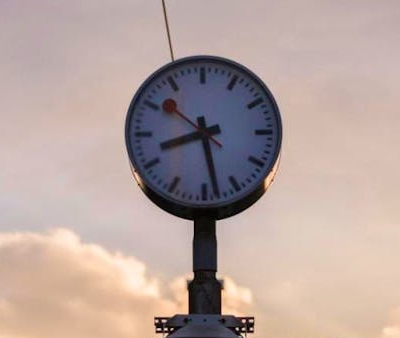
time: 8:28
